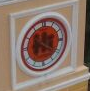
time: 7:20
